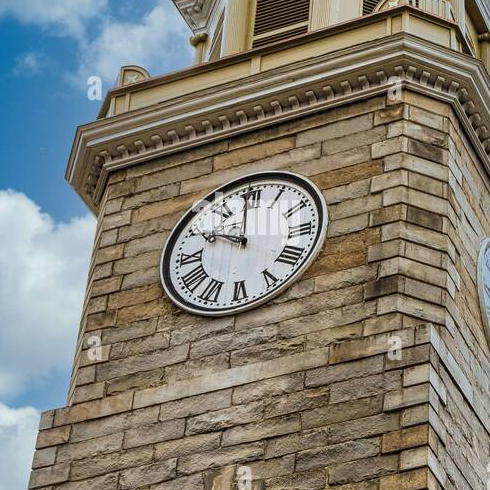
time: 9:59
